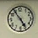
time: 4:54
